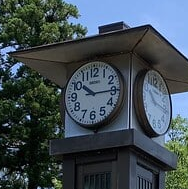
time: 10:14
